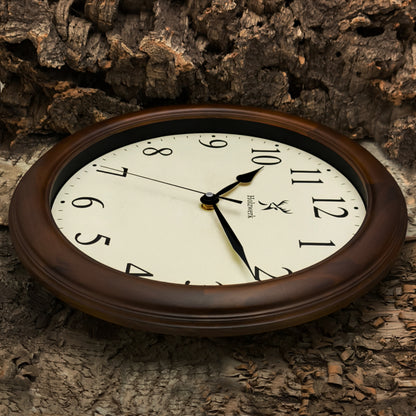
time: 1:25
